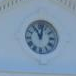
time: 11:02
